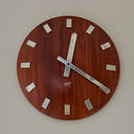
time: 12:19
